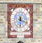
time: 6:18
